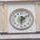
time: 6:08
